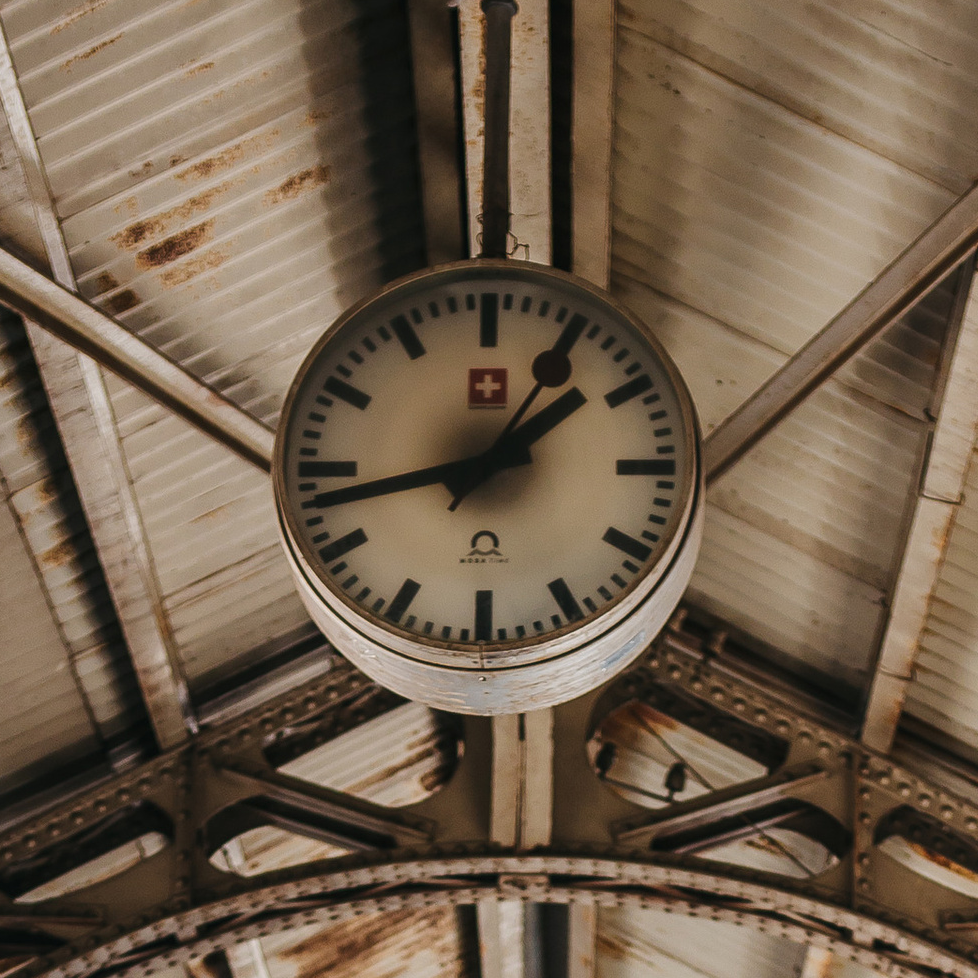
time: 1:43
